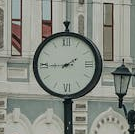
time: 1:44
